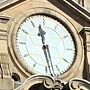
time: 11:28
